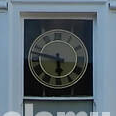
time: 5:47
